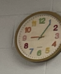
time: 9:05
